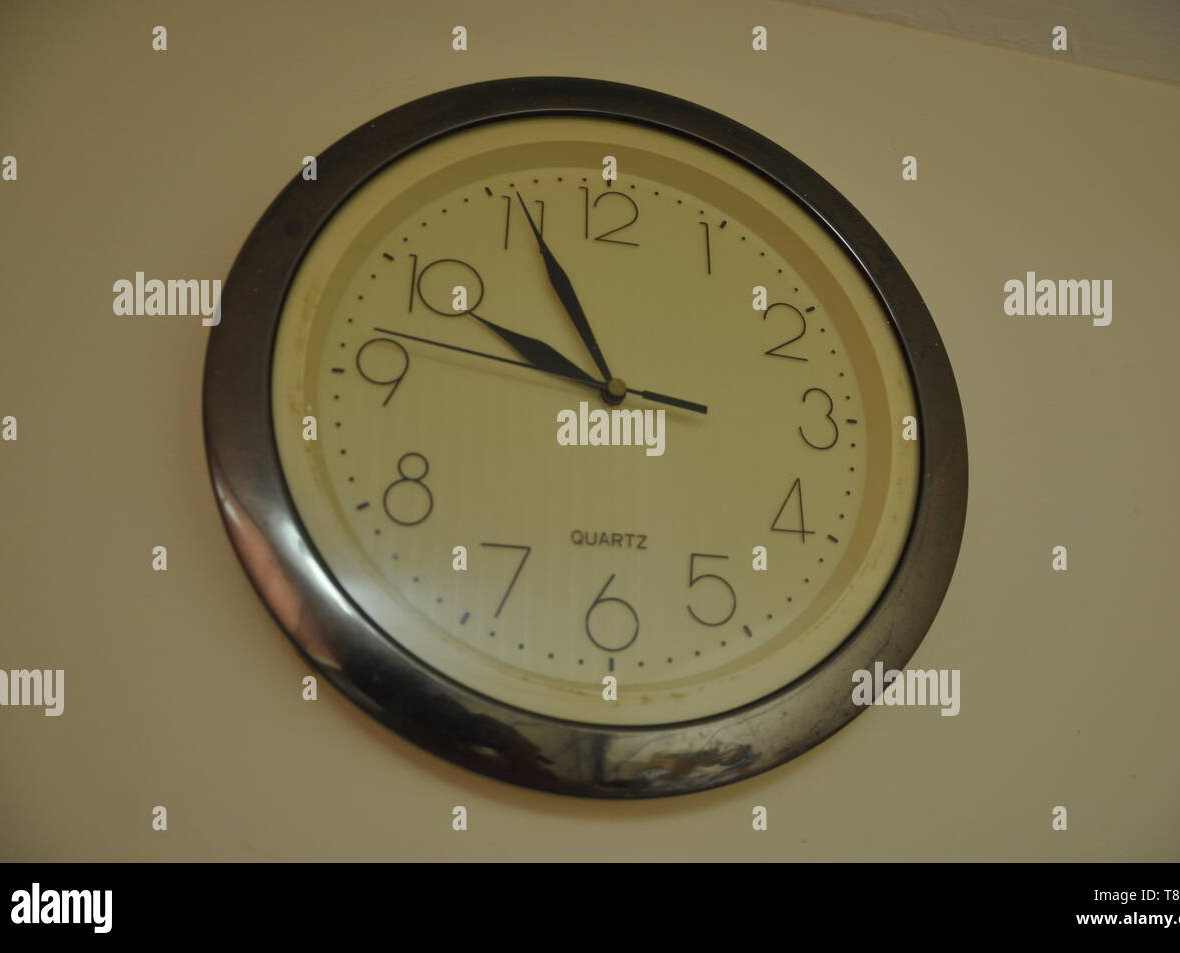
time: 9:55
